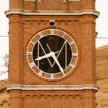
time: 8:24
